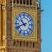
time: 10:41
